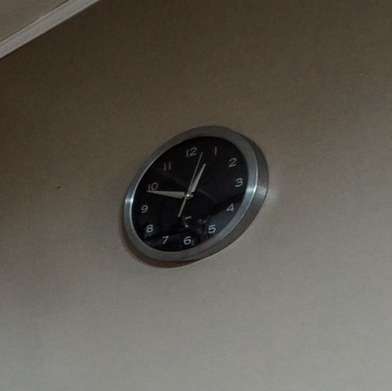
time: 12:49
